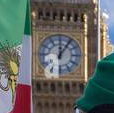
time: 12:05
